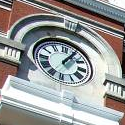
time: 1:05
